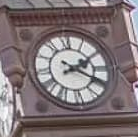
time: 2:19
